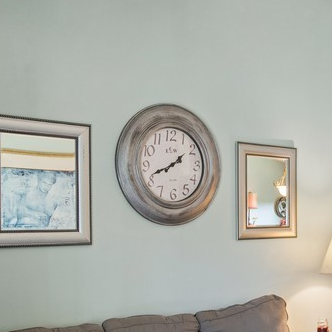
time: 1:41
